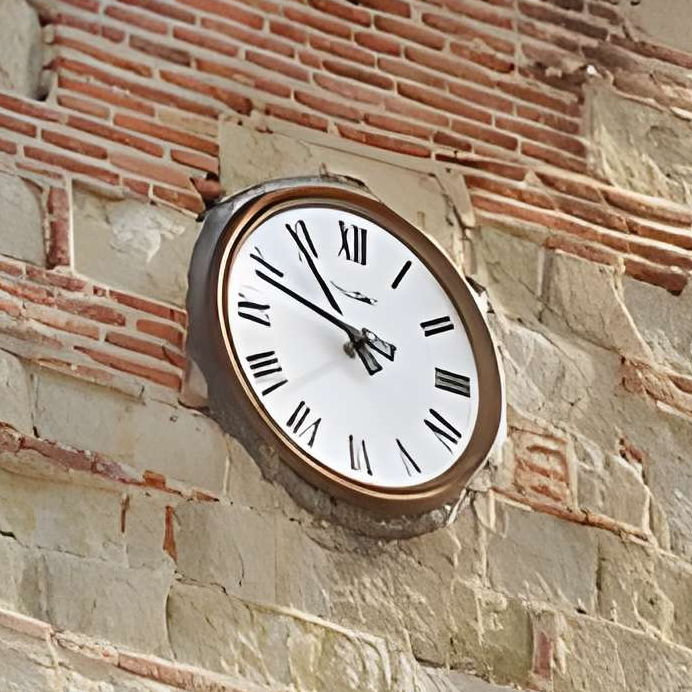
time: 10:48
